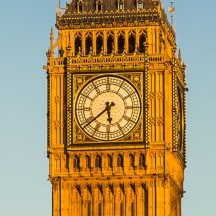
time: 5:38
